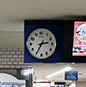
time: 2:34
